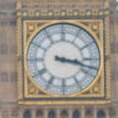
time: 3:17
